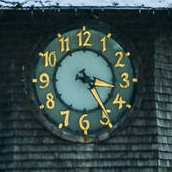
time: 3:24
